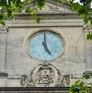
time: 4:59
